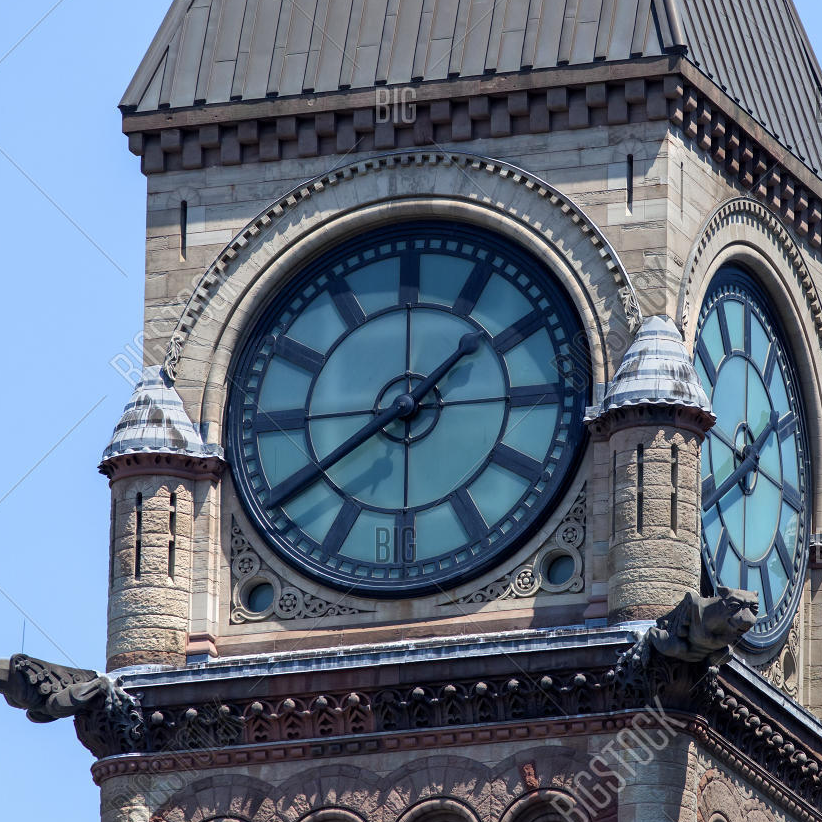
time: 1:39
